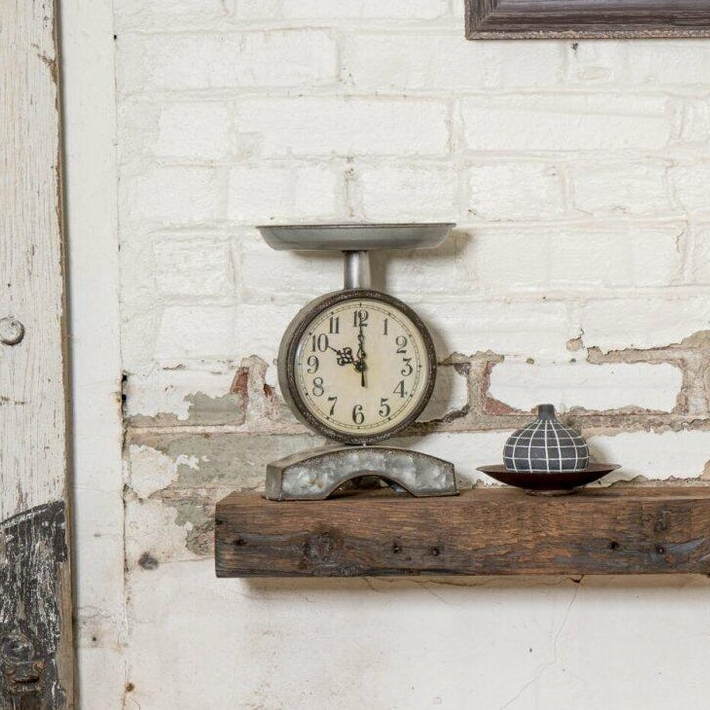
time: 9:59
